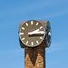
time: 2:14
